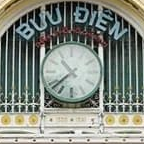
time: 10:38
